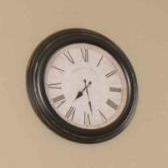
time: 7:28
